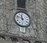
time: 11:47
